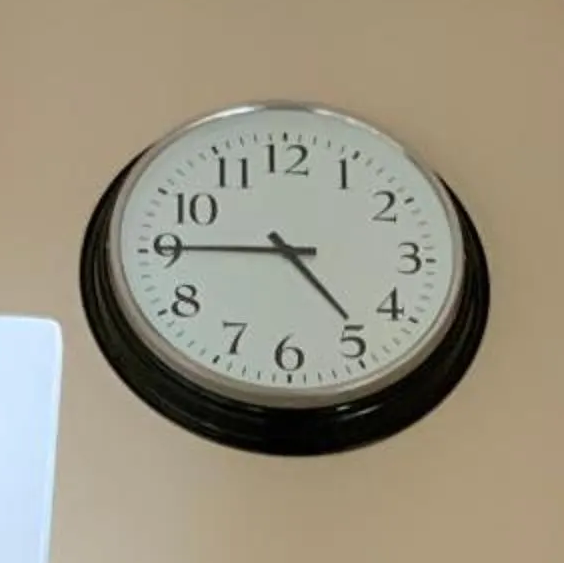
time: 4:45
